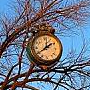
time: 1:39
